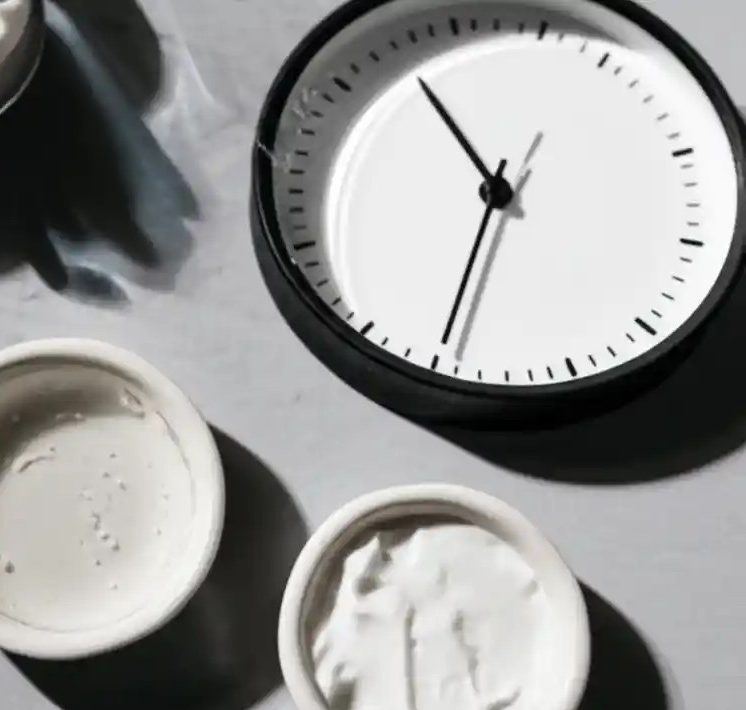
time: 10:31
